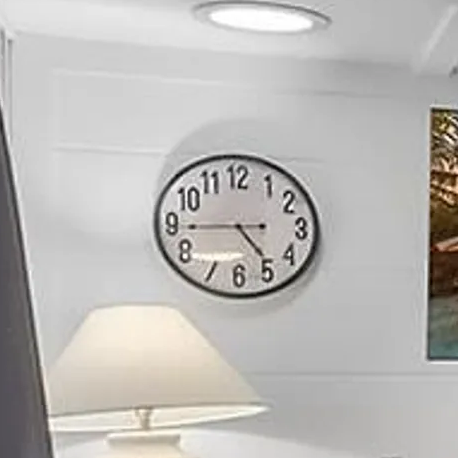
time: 4:44
